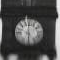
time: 5:59
